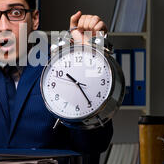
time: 10:24
